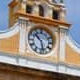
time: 10:27
